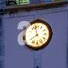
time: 7:57
